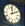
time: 1:59
